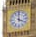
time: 4:00
